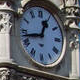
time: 12:43
